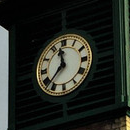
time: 11:37
